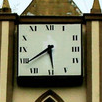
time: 5:38
